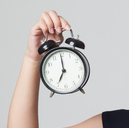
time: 6:59
